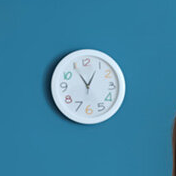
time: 12:54
